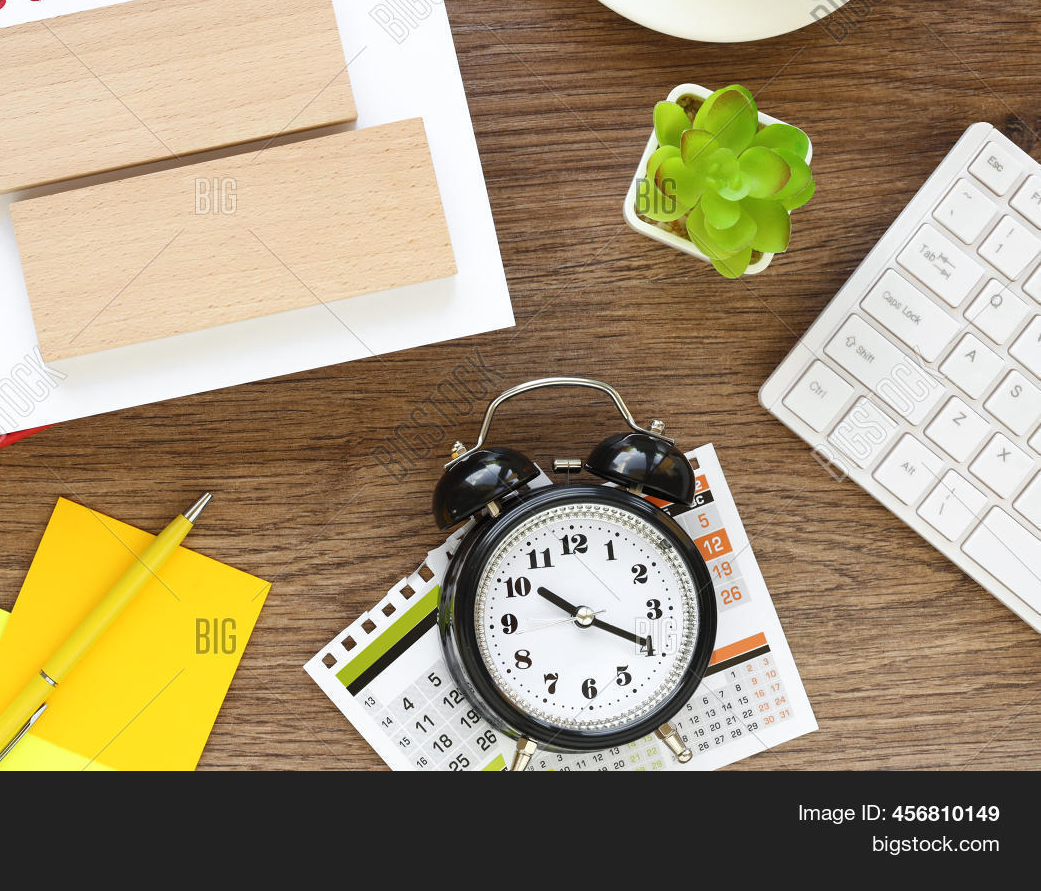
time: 10:19
